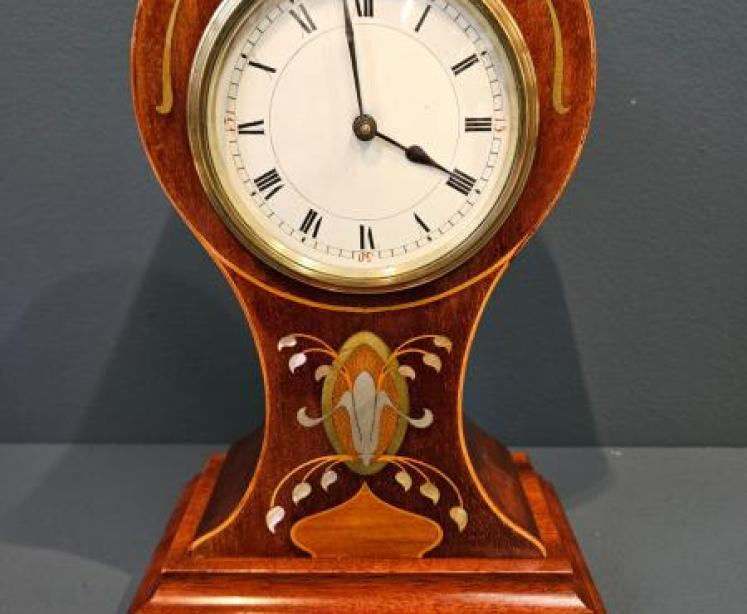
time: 3:58
